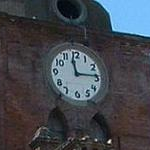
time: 2:58
